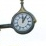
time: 12:05
